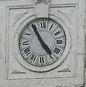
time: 4:54
